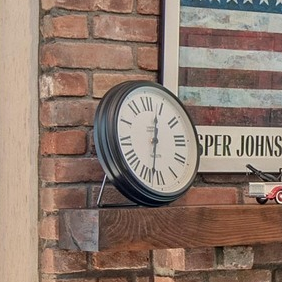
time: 12:32
